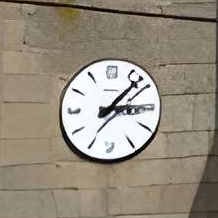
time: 3:07
